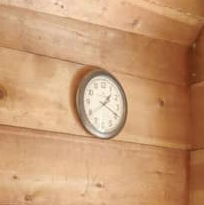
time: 1:19
